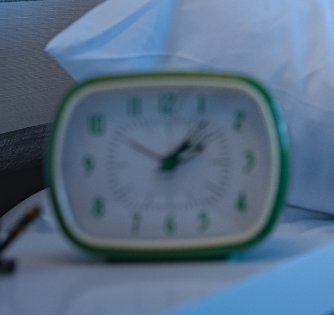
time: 2:07
